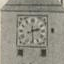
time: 2:29
